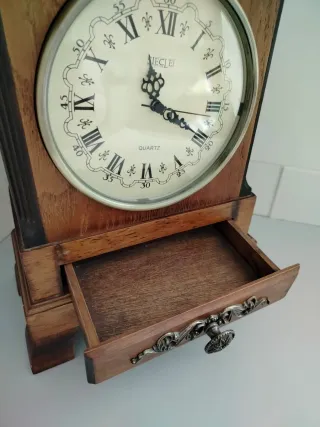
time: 11:19
